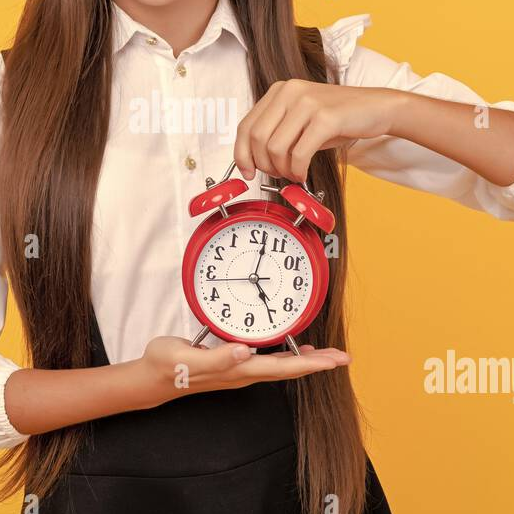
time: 5:01
